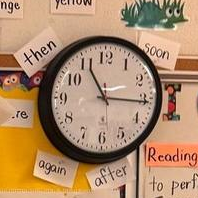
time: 11:15
